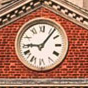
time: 9:06
